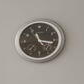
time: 11:16
